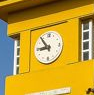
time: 8:53
